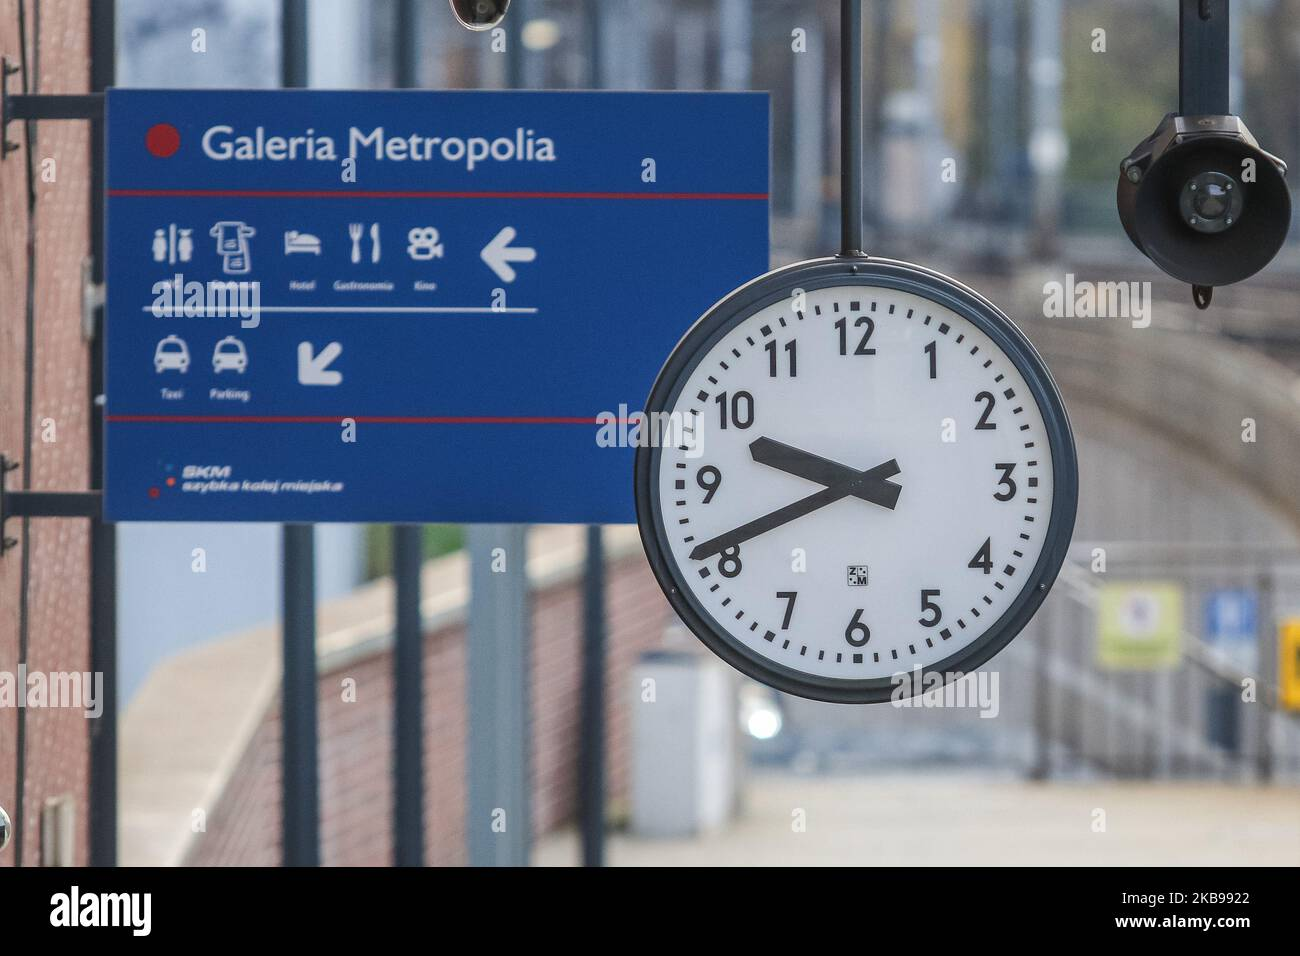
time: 9:41
